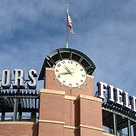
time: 10:41
